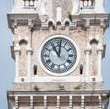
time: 11:01
